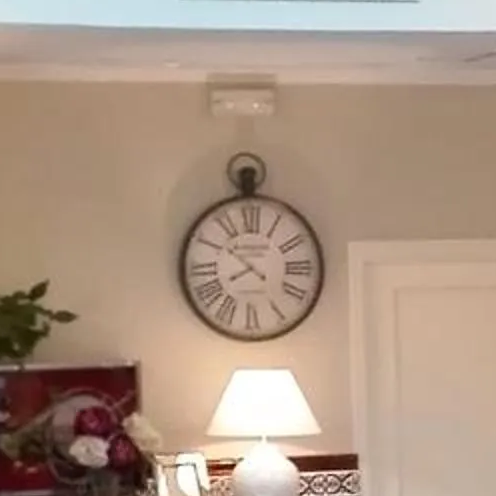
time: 7:50
